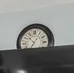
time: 10:34
